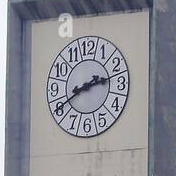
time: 8:12
